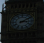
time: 3:09
